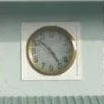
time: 4:52
